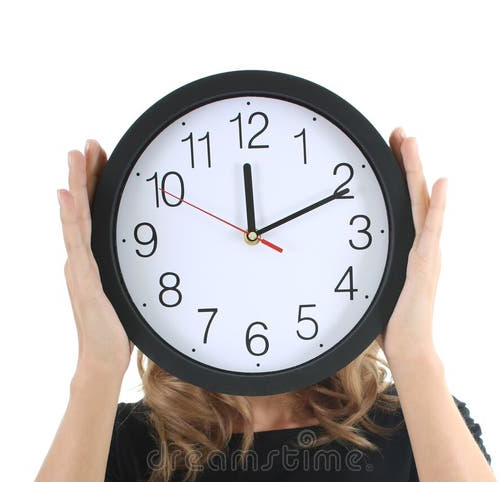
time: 12:10
